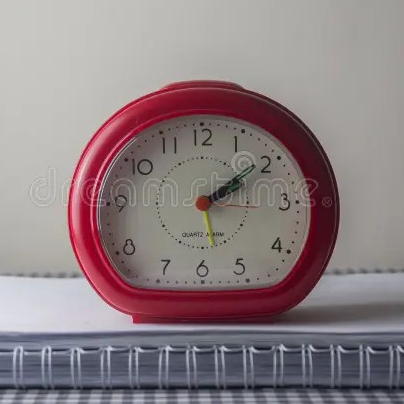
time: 2:09
